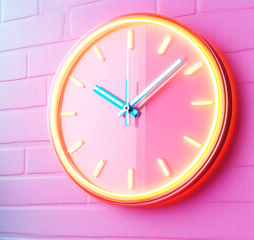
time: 10:08
